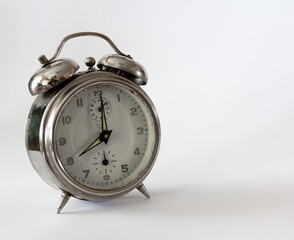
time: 8:00
